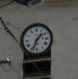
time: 1:34
